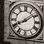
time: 8:09
